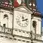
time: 12:11
